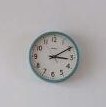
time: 3:09
